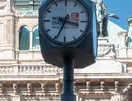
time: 3:34
